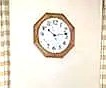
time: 10:13
